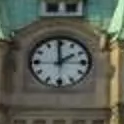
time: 1:59
